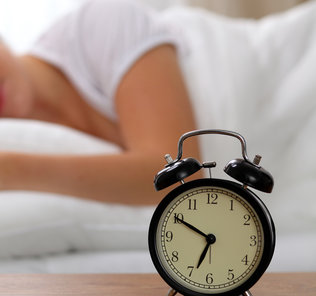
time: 6:49
